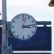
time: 3:13
